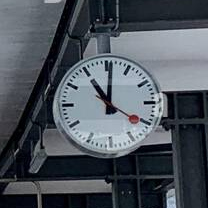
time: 11:01
